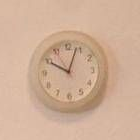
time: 10:03
